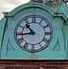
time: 10:43
